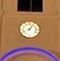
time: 8:05
